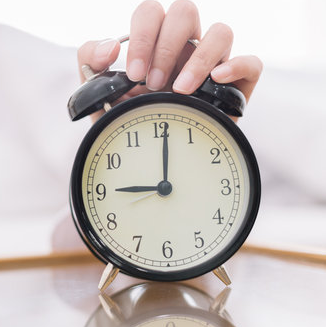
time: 9:01
